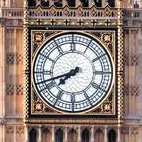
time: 7:42
